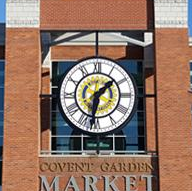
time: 1:32
